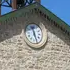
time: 11:26
